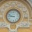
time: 8:48
